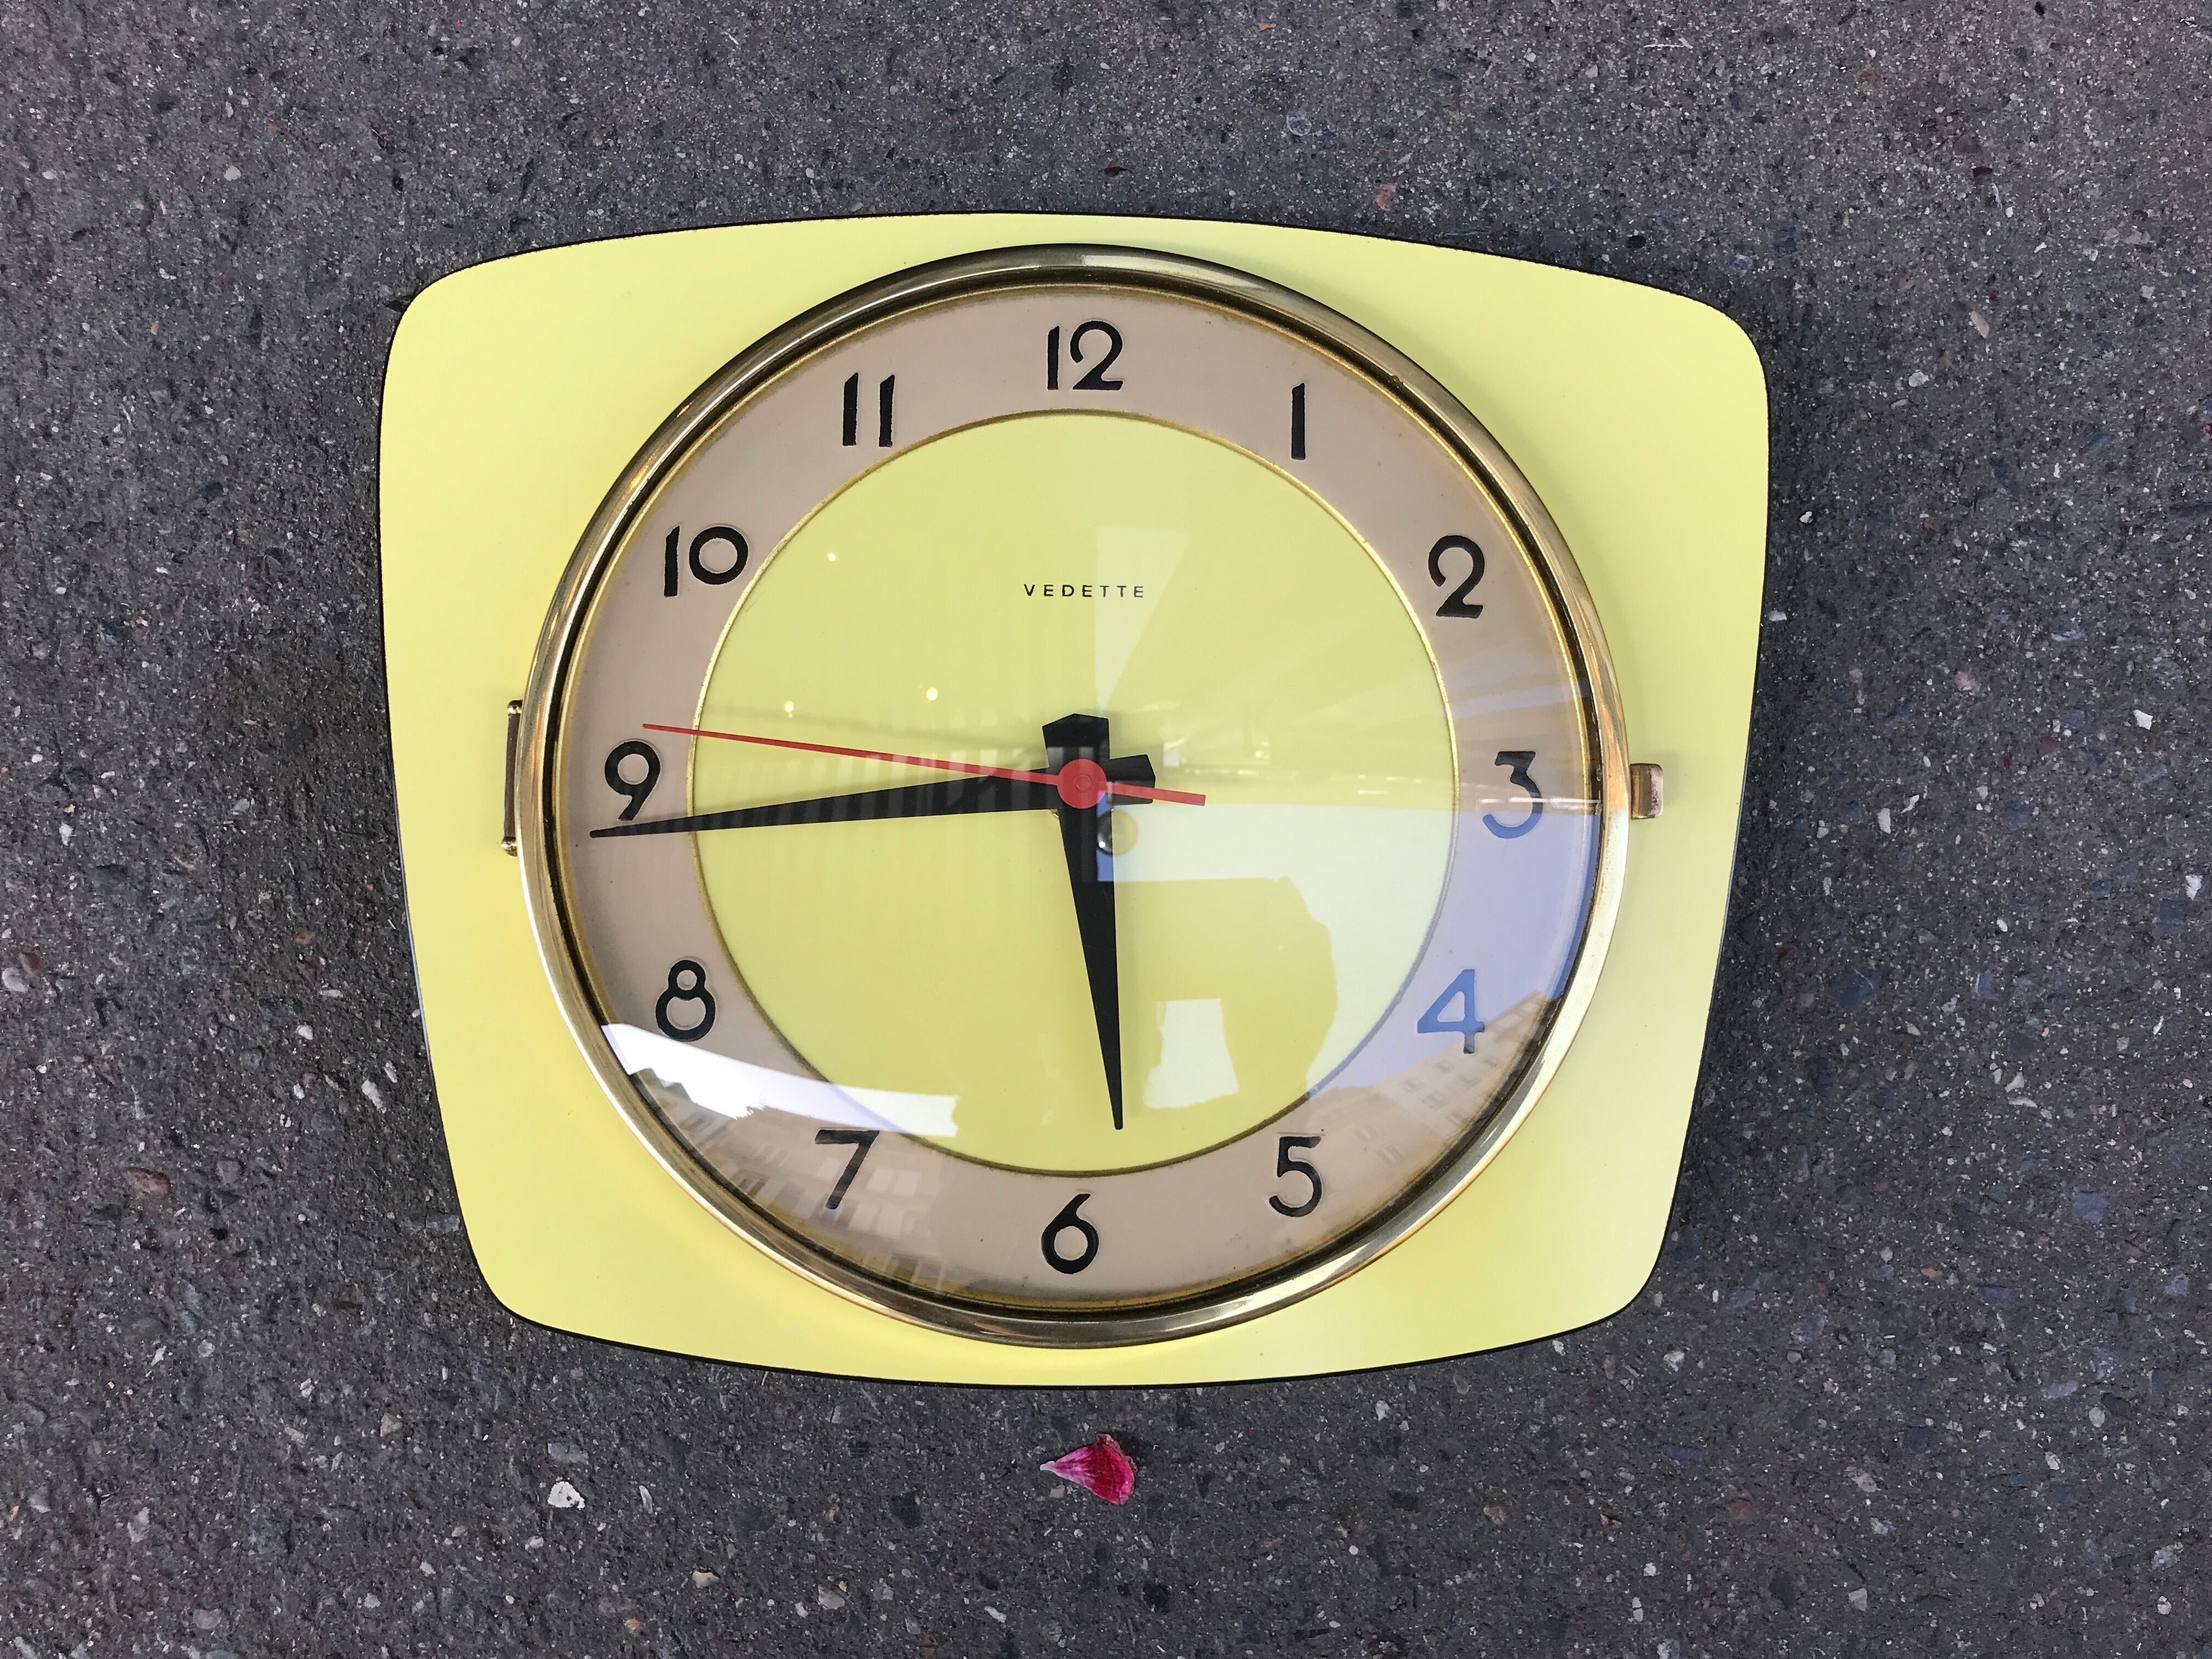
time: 5:44
